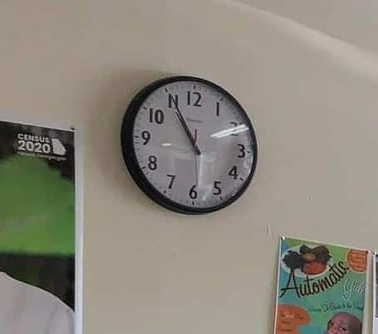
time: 10:55
